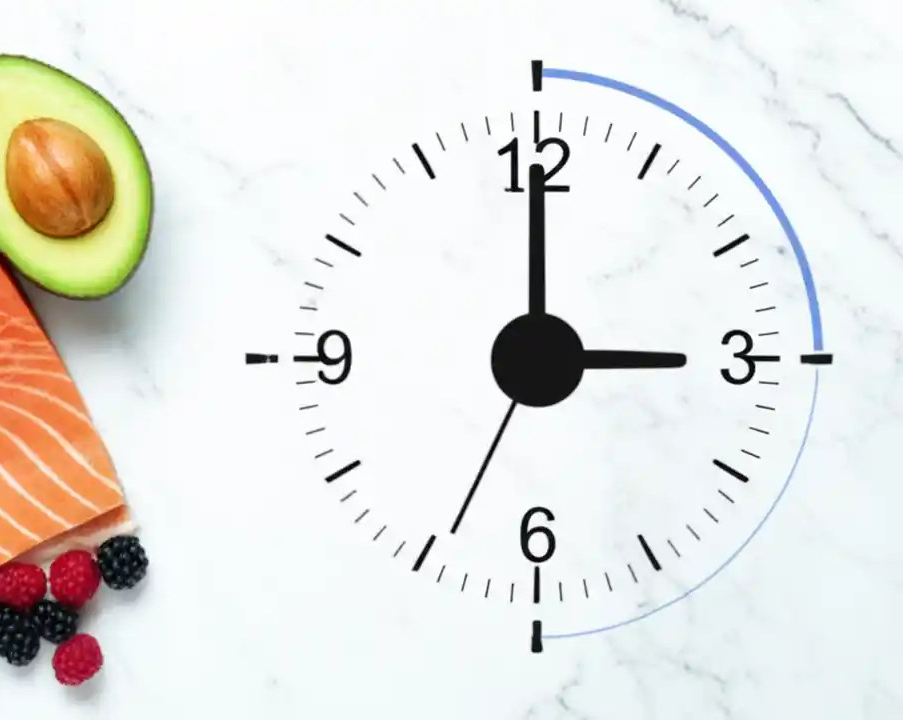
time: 3:00
